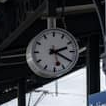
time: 2:20
